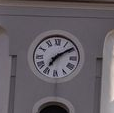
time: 7:09
